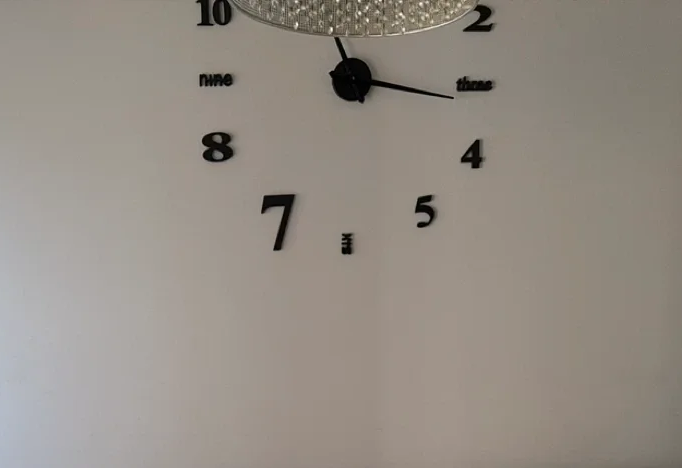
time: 11:16
